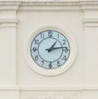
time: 1:13
